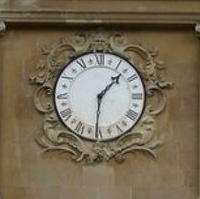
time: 1:30
